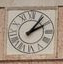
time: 2:06
